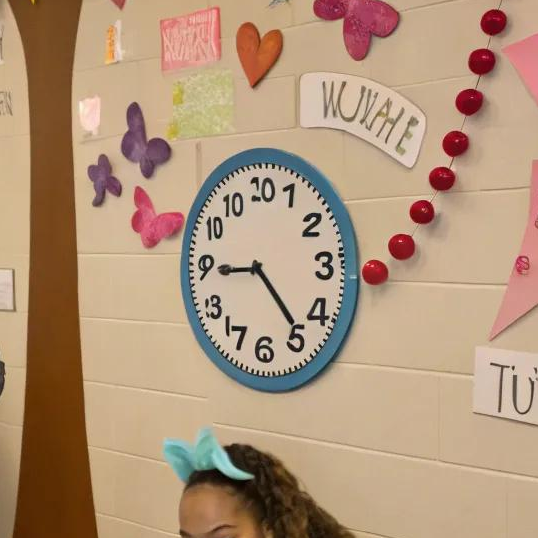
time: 4:44
